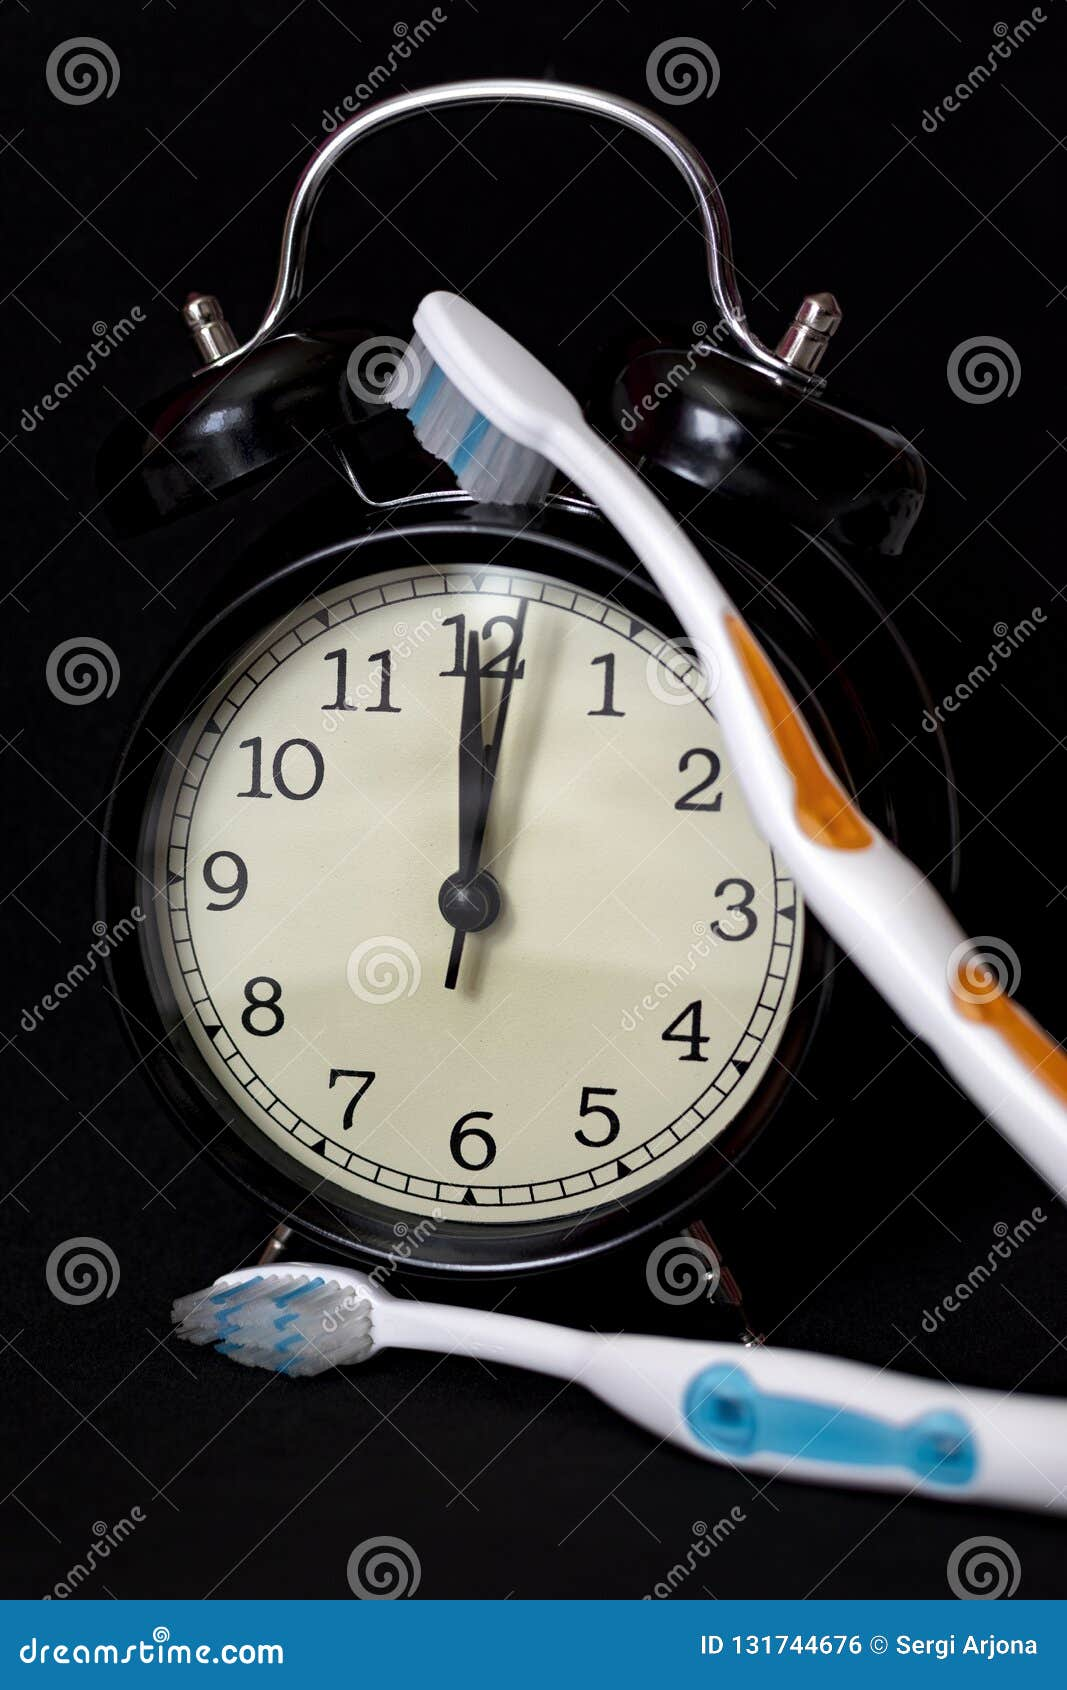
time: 12:01
